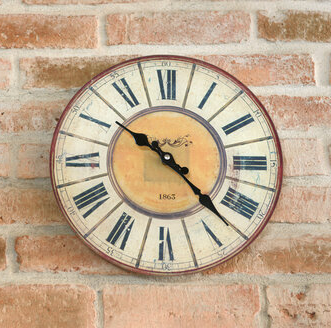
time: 10:22
